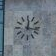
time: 12:16
